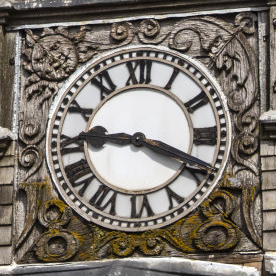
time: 9:18
